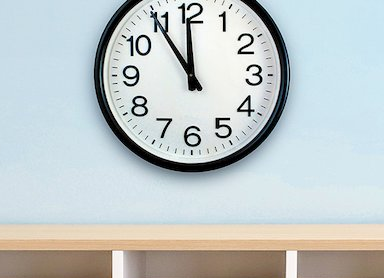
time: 11:54
